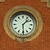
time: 1:29
